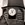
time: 5:37
